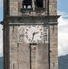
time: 2:32
